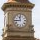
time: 11:44
